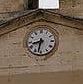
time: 8:32
